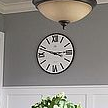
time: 2:48
